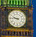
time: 9:45
